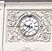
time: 9:37
